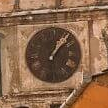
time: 1:06
